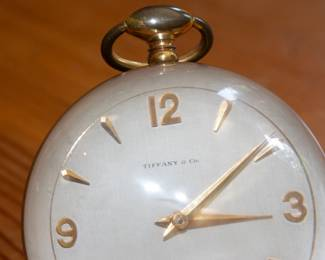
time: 3:09
